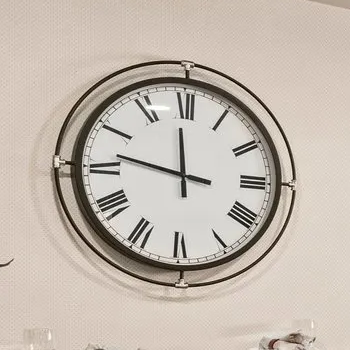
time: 11:46
